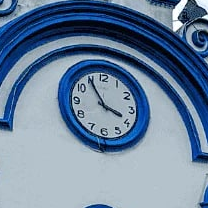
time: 3:54
